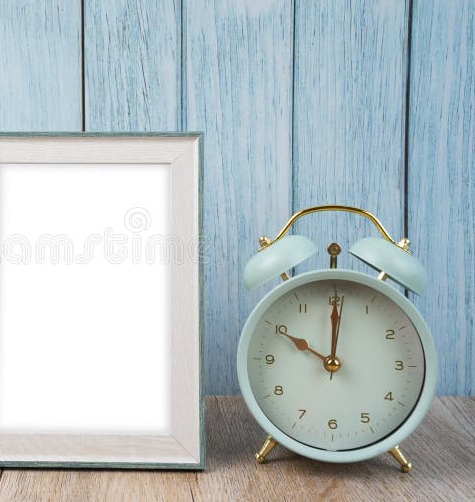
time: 10:00
